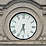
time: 5:34
